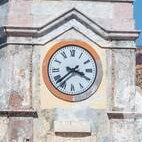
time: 3:38
